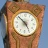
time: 4:52
